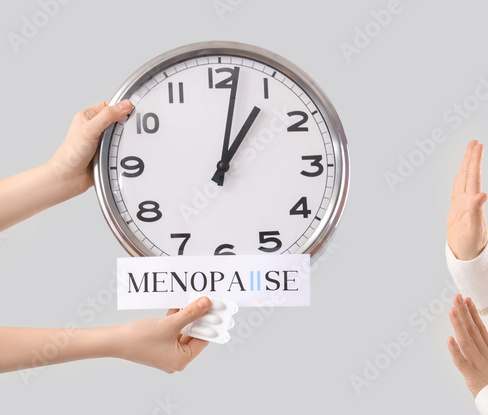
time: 1:01
